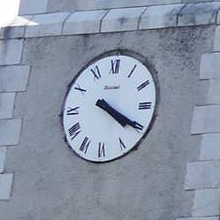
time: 4:19
